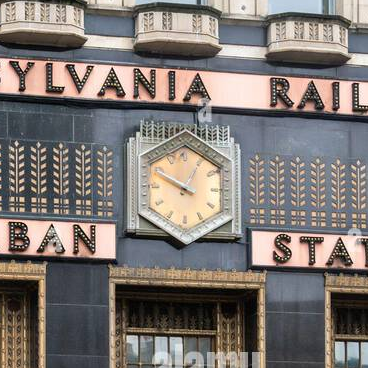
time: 12:49
